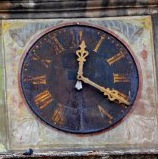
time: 12:20
